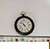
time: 10:24
